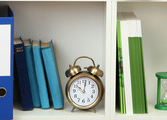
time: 10:01
